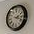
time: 2:18
